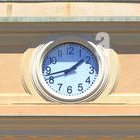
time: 1:42
